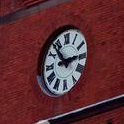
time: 2:53
